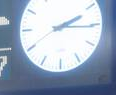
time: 2:15
